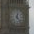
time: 12:23
